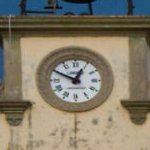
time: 12:49
